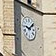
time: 1:46
